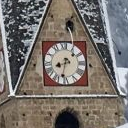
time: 8:32
